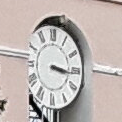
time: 3:16
